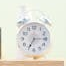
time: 7:14
